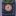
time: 9:01
